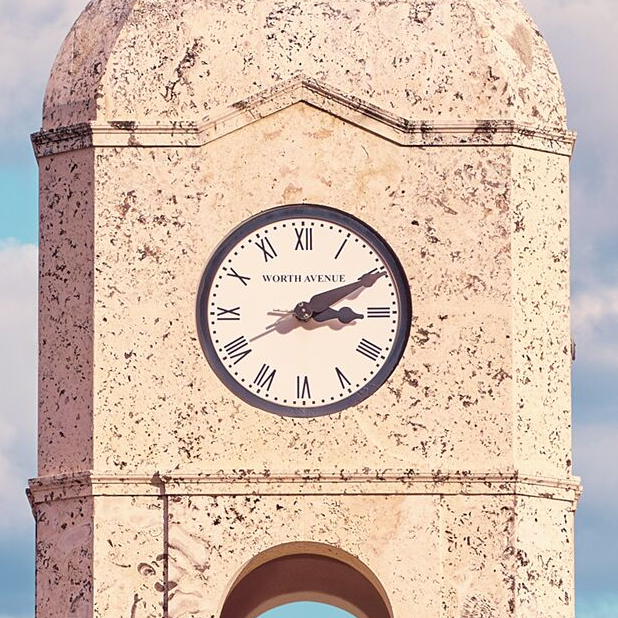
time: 3:10
